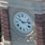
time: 10:13
